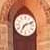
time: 7:11
